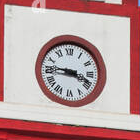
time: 3:45
